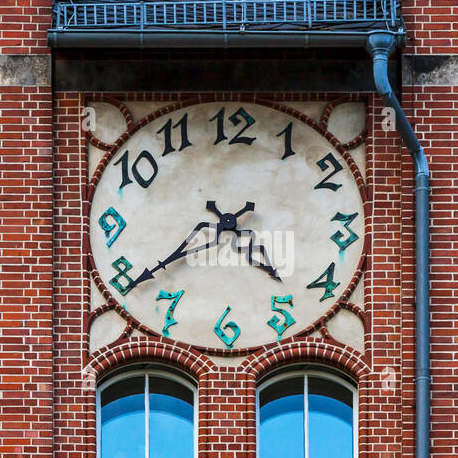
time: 4:38
